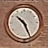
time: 10:25
